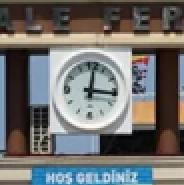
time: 12:16
